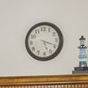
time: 5:19
